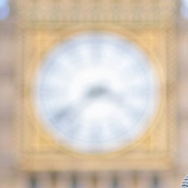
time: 3:38
